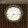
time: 7:16
